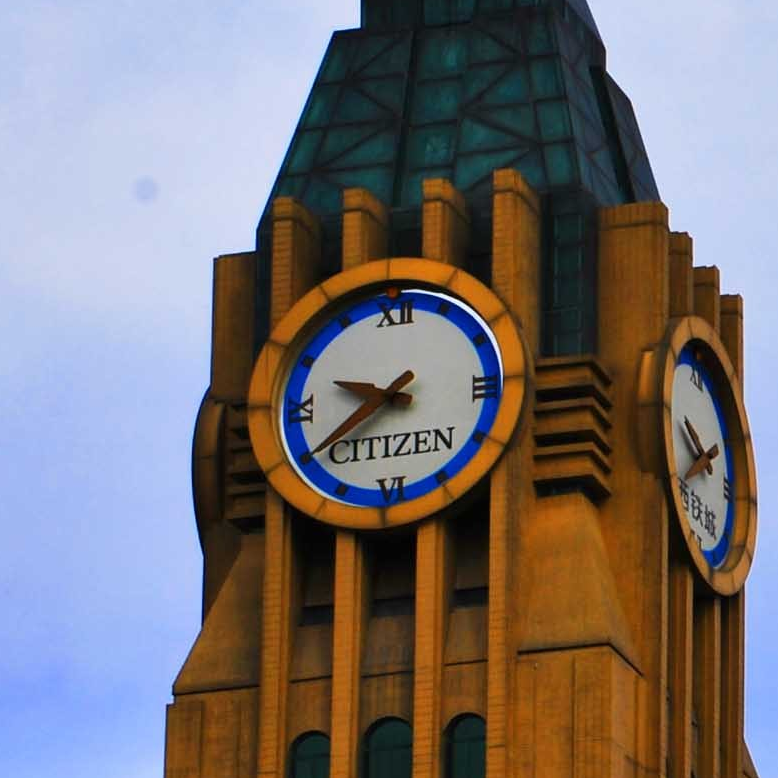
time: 9:39
